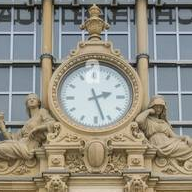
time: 2:27
